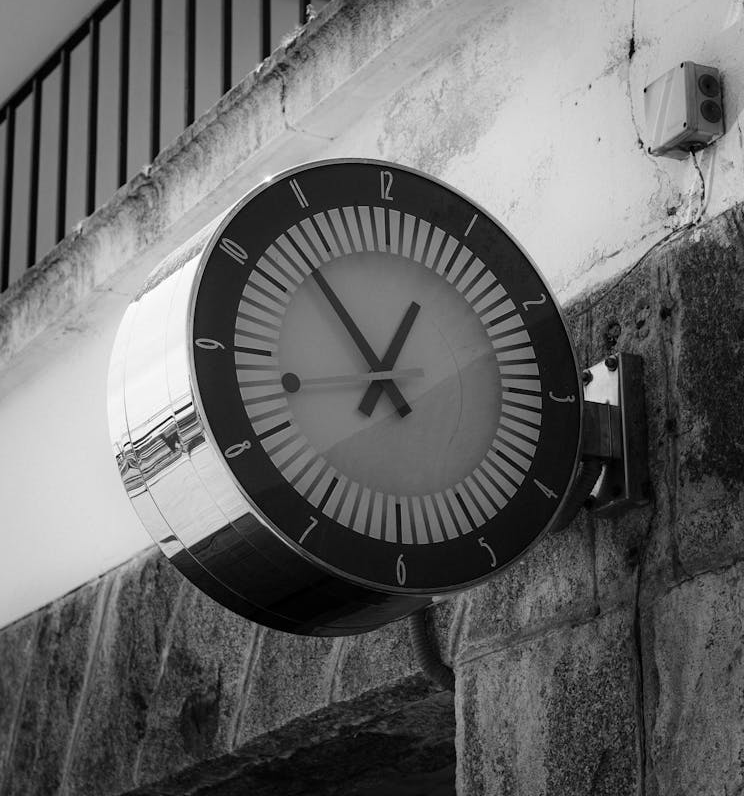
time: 12:53
